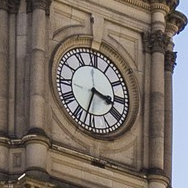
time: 3:32
